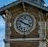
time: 3:50
